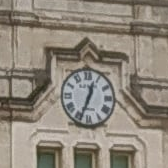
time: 12:33
